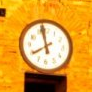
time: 7:57
